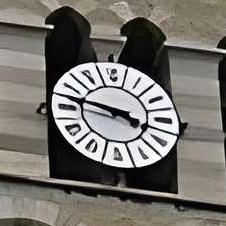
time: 3:47
